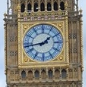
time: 1:43
